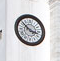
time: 3:52
